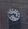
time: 4:42
